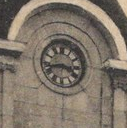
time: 3:42
